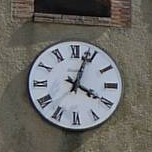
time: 4:03
